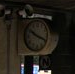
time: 10:19
